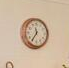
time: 11:35
